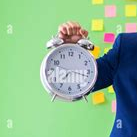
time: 7:17
